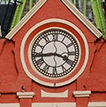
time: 3:43
